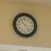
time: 10:24
